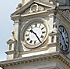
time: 10:24
